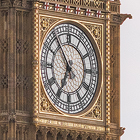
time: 6:54
